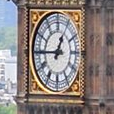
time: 12:45
